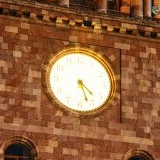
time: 4:26
